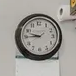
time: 9:44
